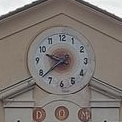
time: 9:38
